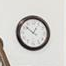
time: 12:52
